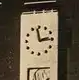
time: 2:58
